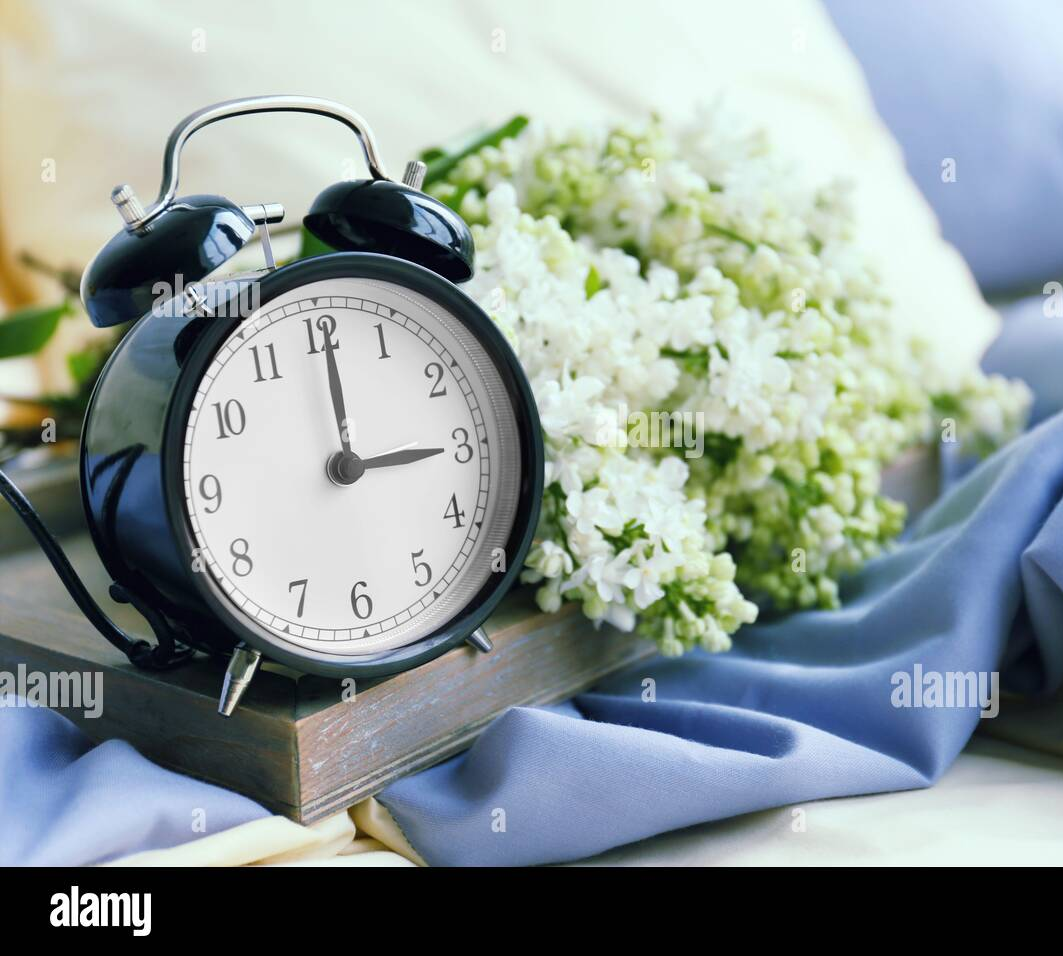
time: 3:00
